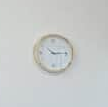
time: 10:14
